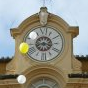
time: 8:16
